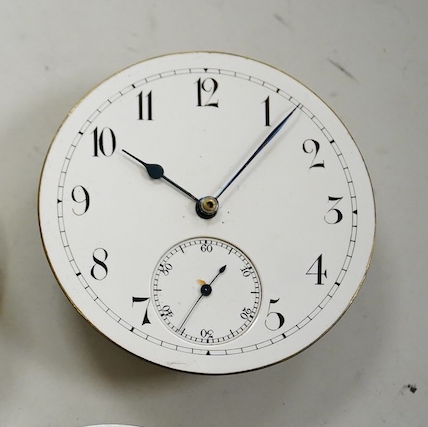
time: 10:06
